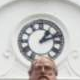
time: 1:11
